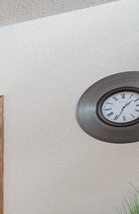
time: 1:34
